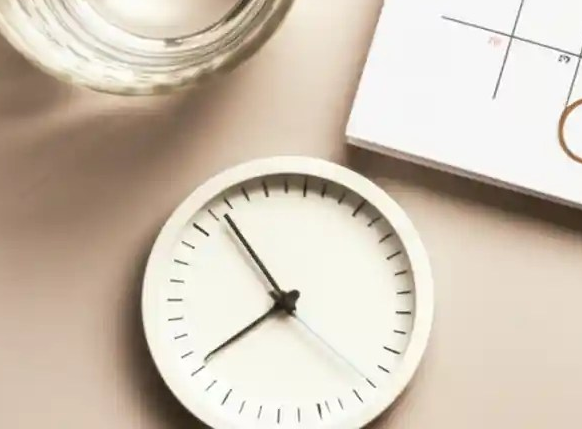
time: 7:52
